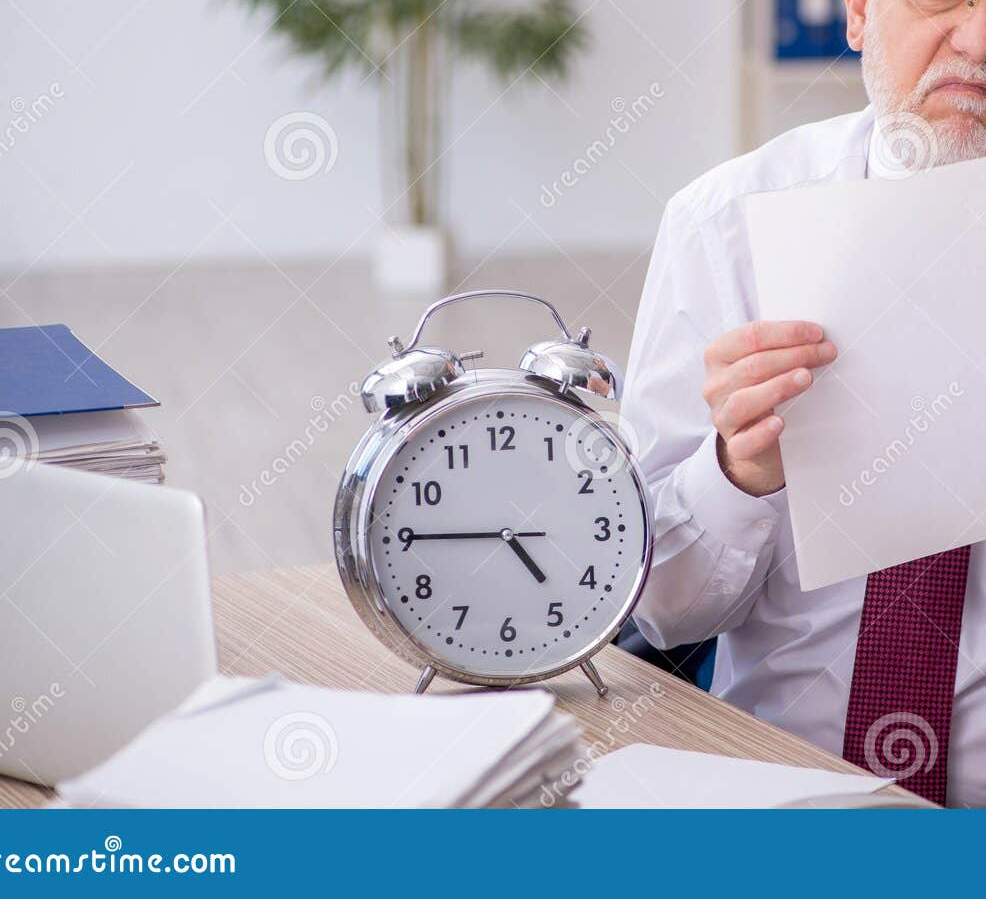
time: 4:45
